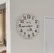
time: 4:44
